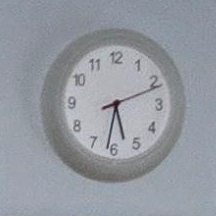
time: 5:31
